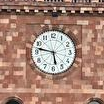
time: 5:47
